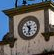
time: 10:32
